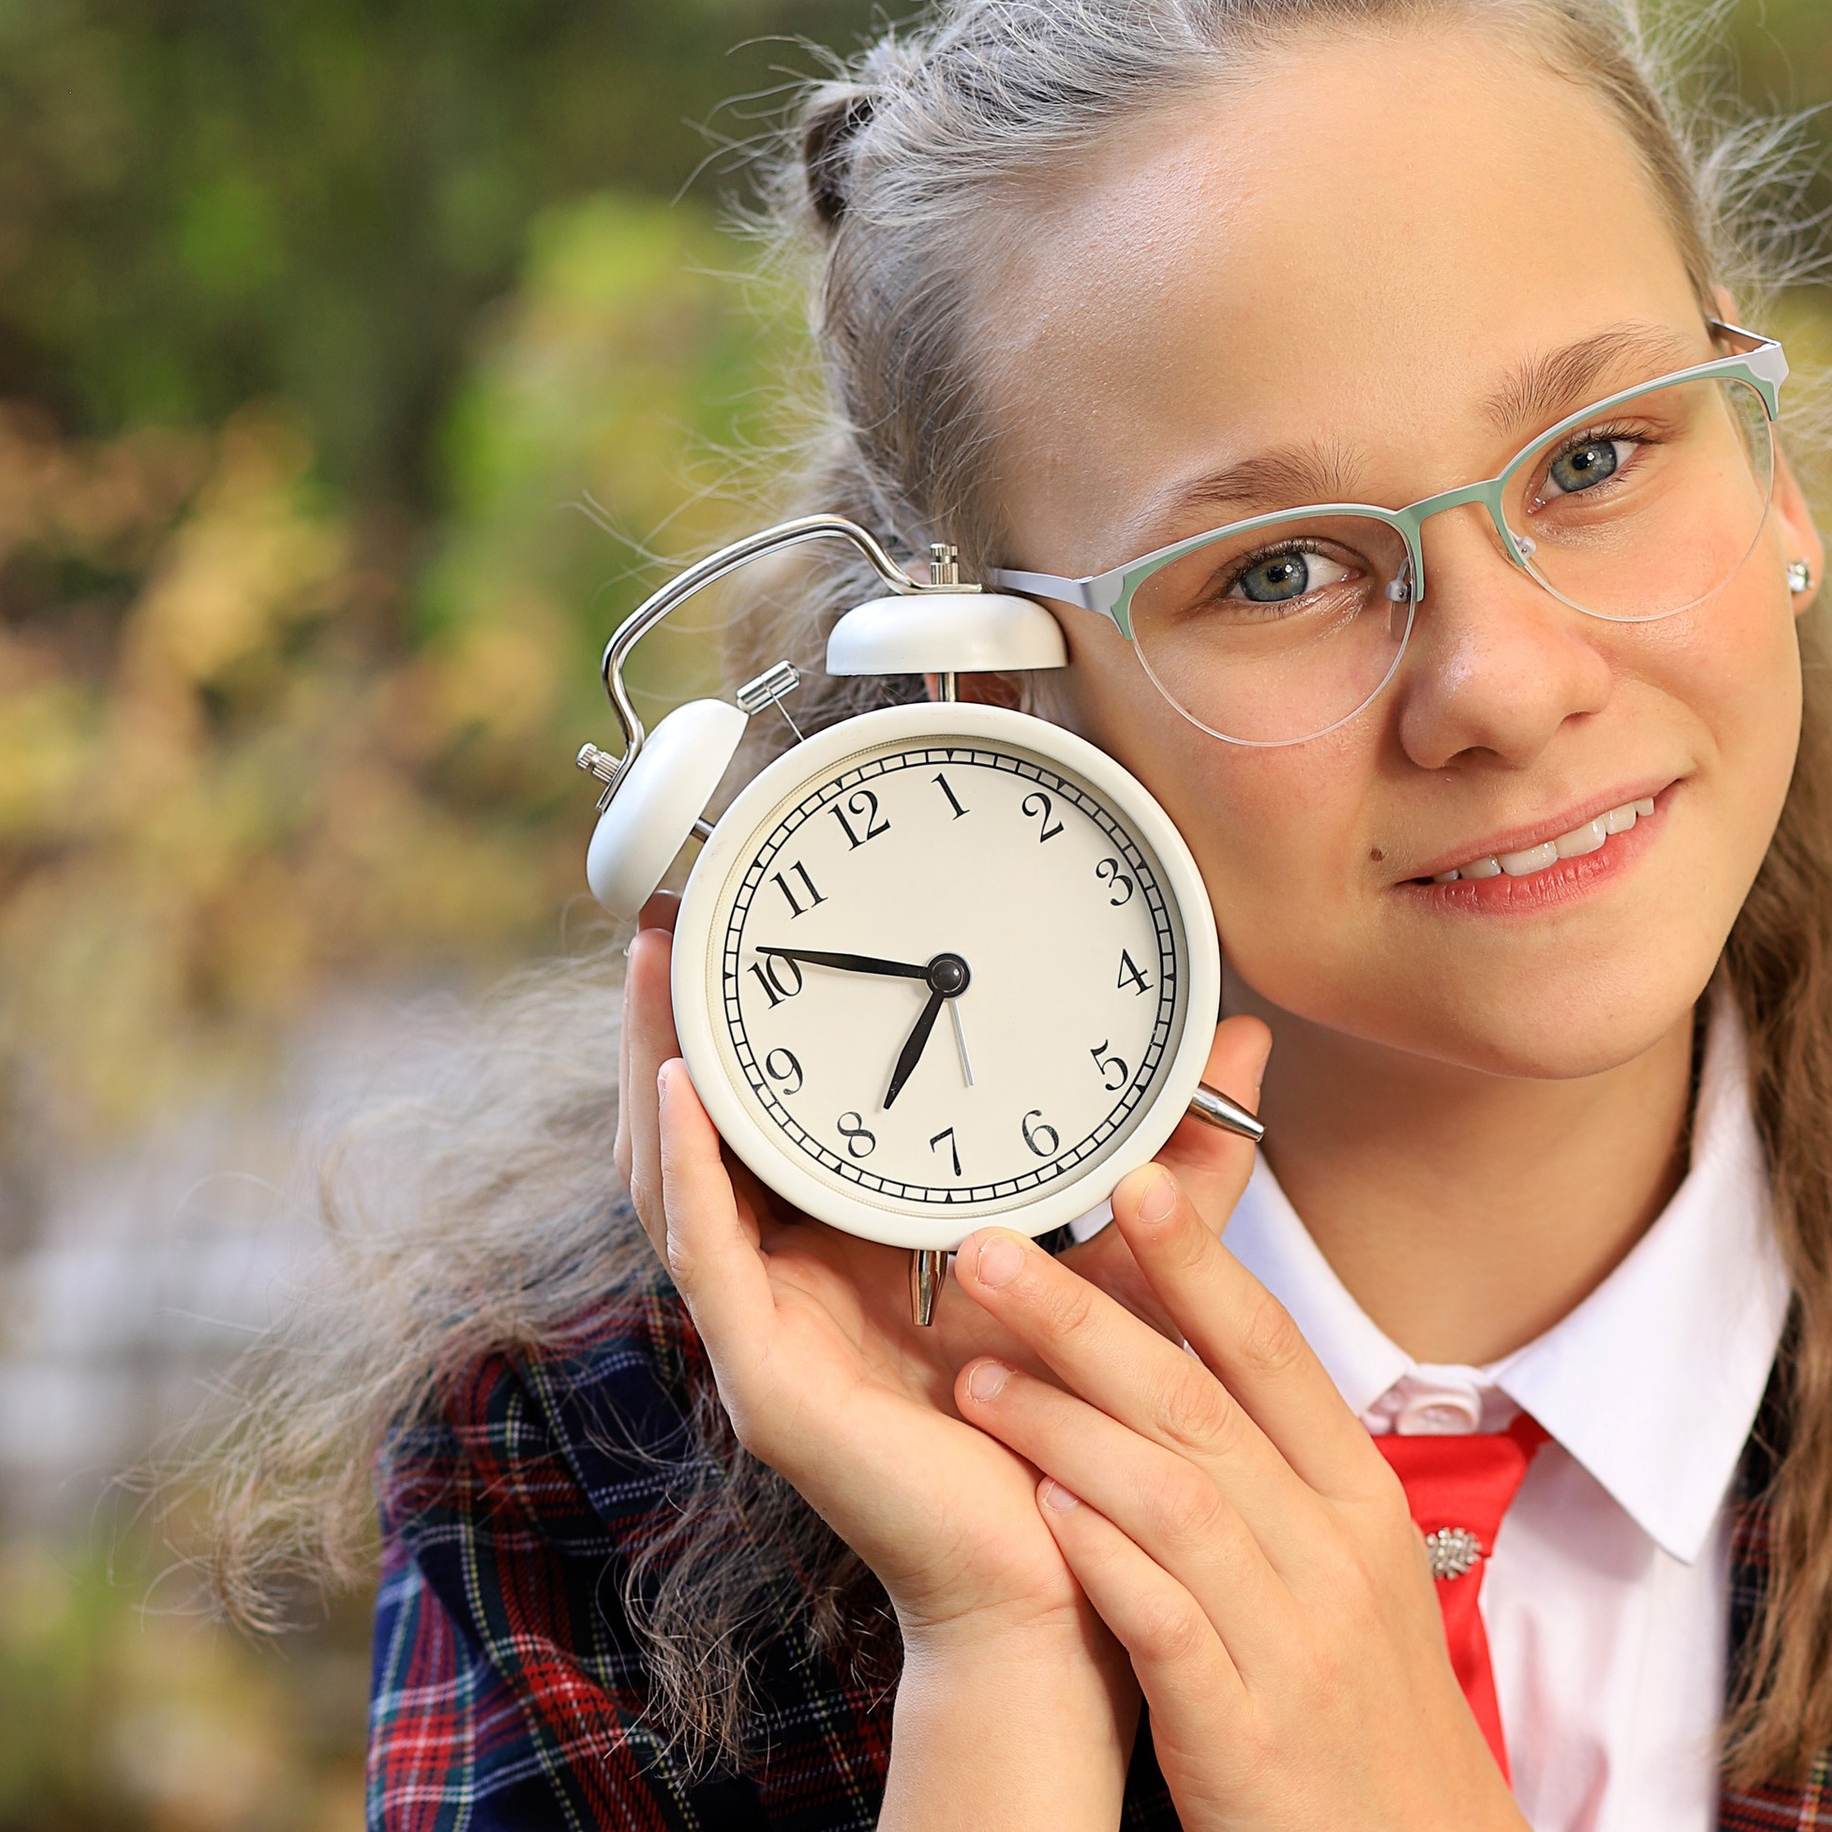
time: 6:46
